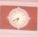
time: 6:40
